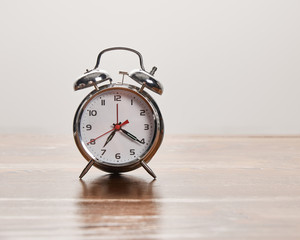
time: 7:20
